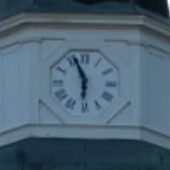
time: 5:56
